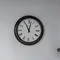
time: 11:02
